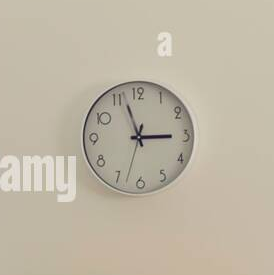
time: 2:56
